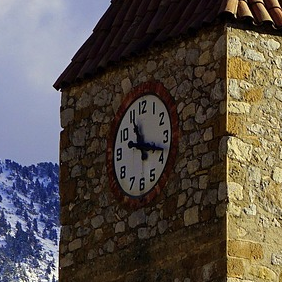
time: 11:18
